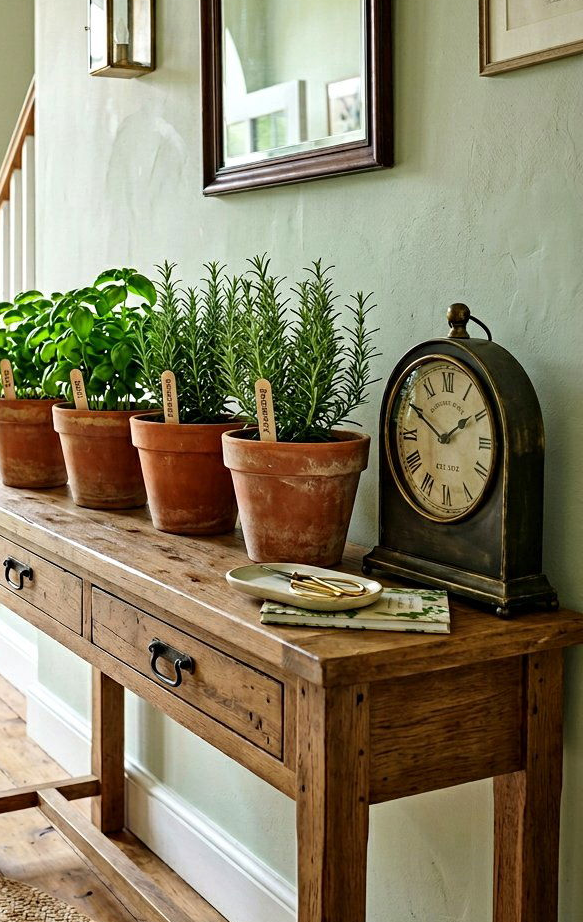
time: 1:50
